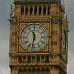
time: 11:31
